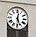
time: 12:26
